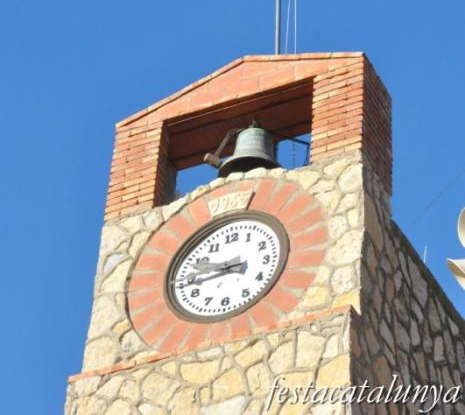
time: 9:43
